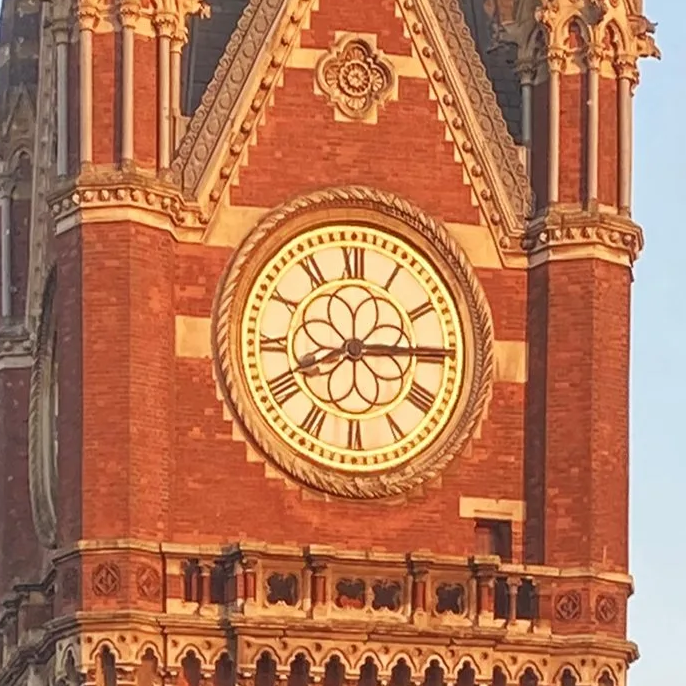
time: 8:14
